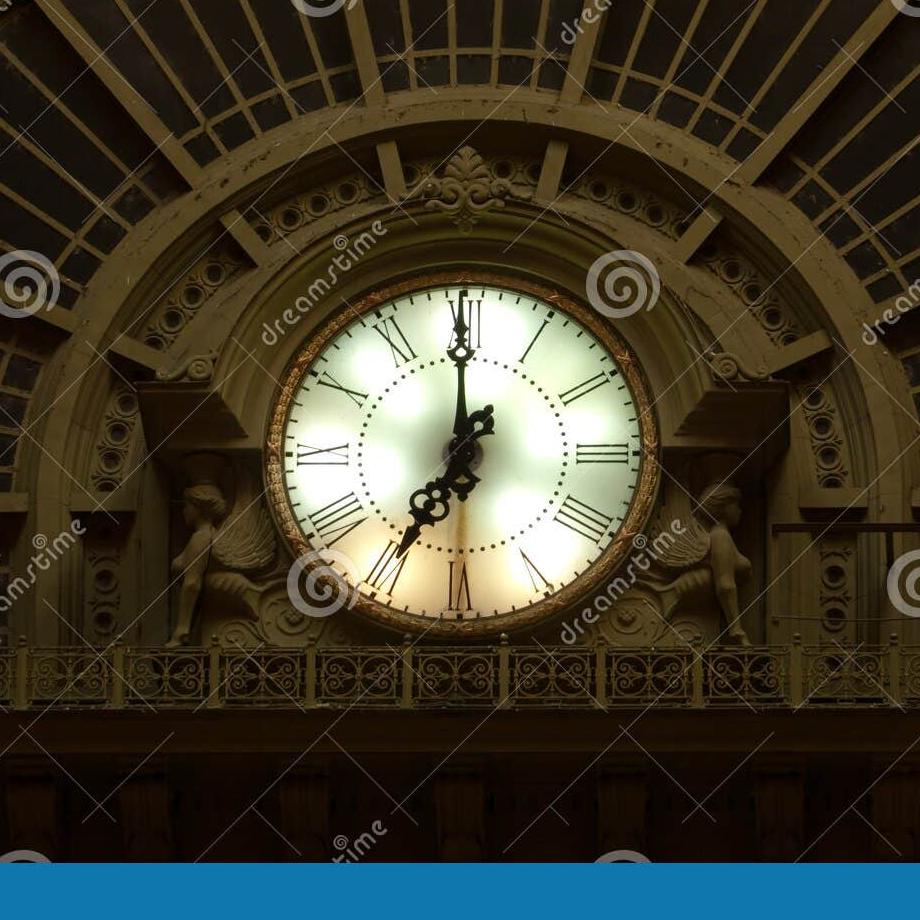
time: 7:00
